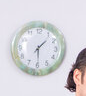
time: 1:29
